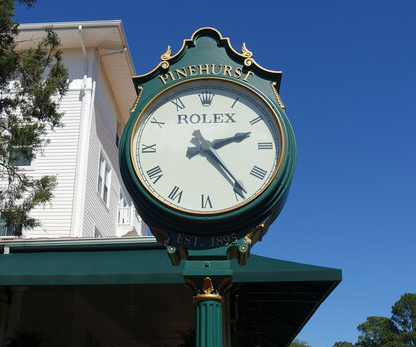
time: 2:23
